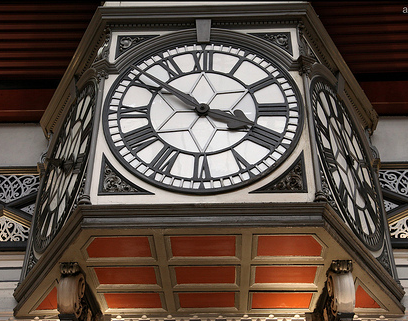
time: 3:51
